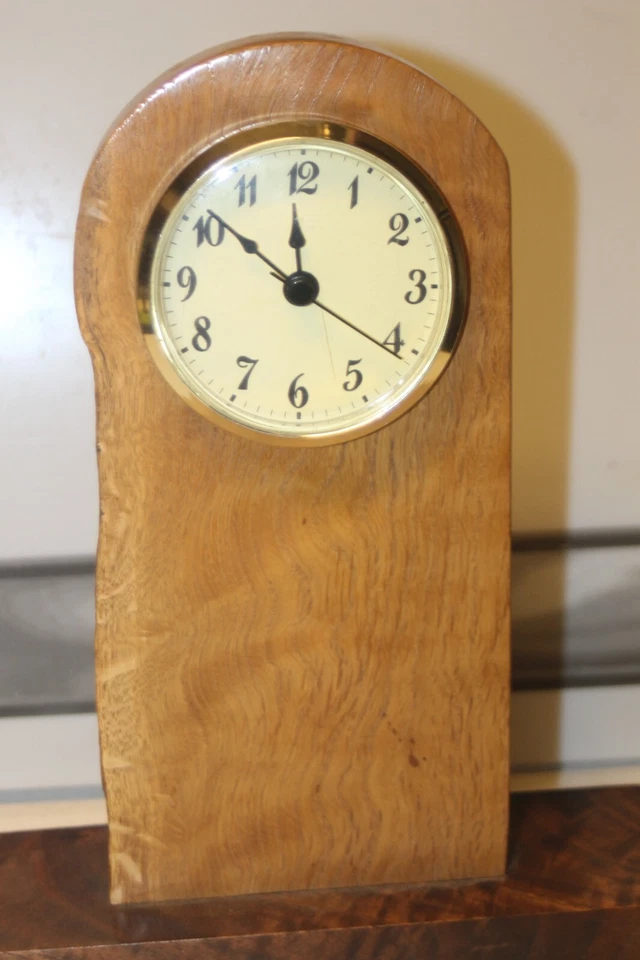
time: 11:51
